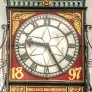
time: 9:25
